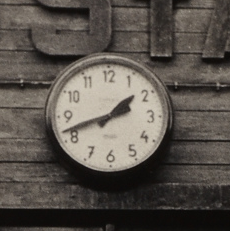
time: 1:41
